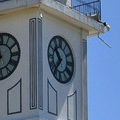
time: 10:37
